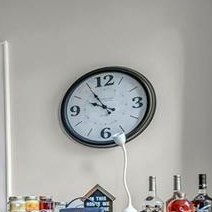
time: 9:54
